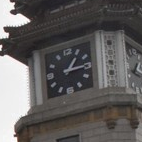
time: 1:14
